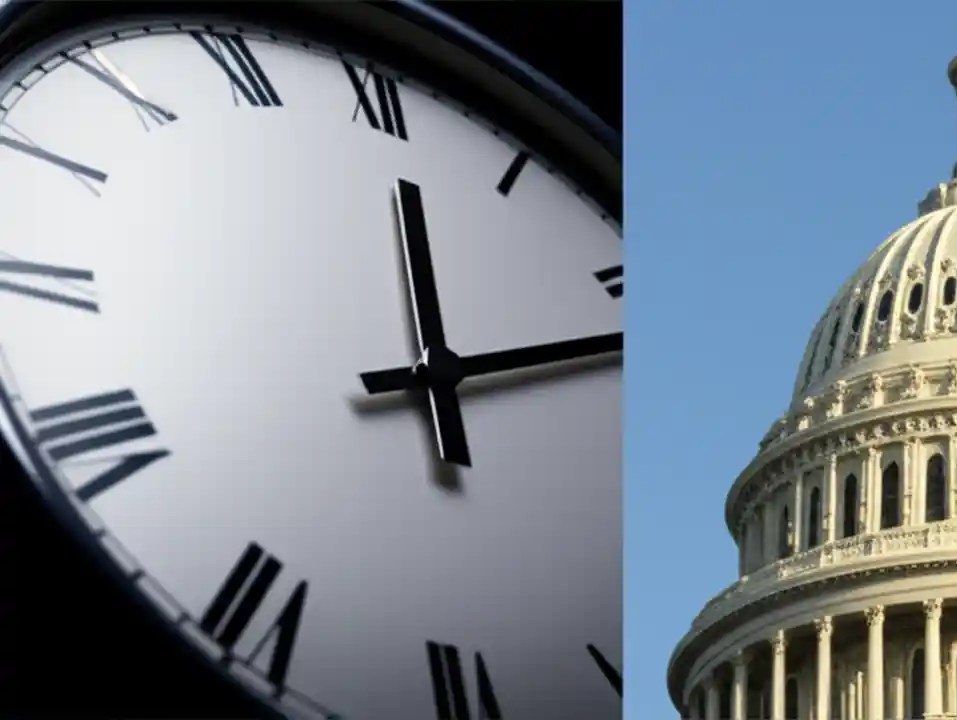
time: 12:12
